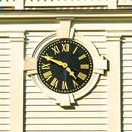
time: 4:48
